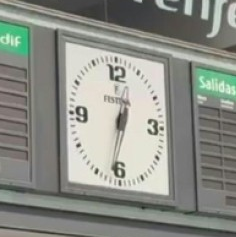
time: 12:32
